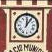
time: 12:06
